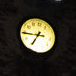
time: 6:43
